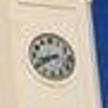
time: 8:40
